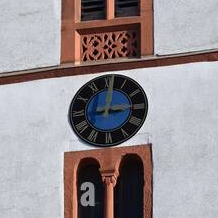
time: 3:01
